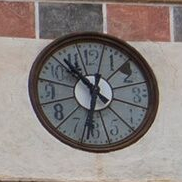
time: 10:32
